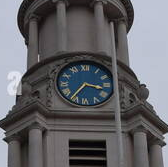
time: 3:35
